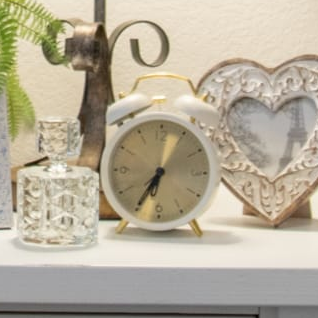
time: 6:35
